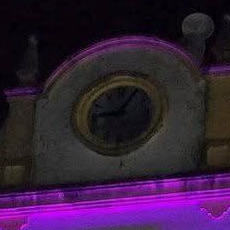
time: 9:05
